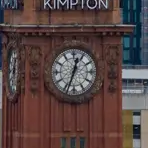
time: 12:33
